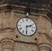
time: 2:30
